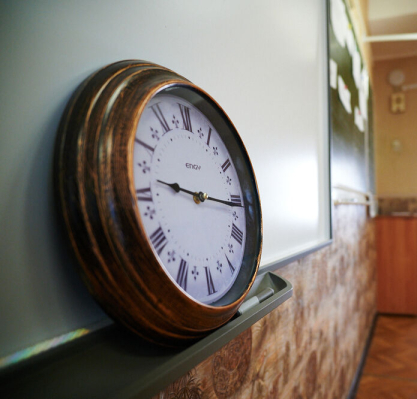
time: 9:15
